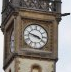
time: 3:47
